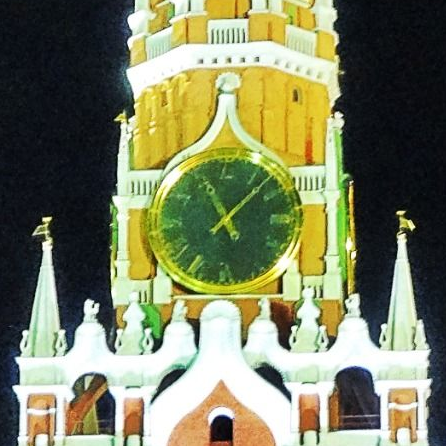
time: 11:07
